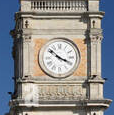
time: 3:52
